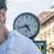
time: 4:42
